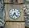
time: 7:23
